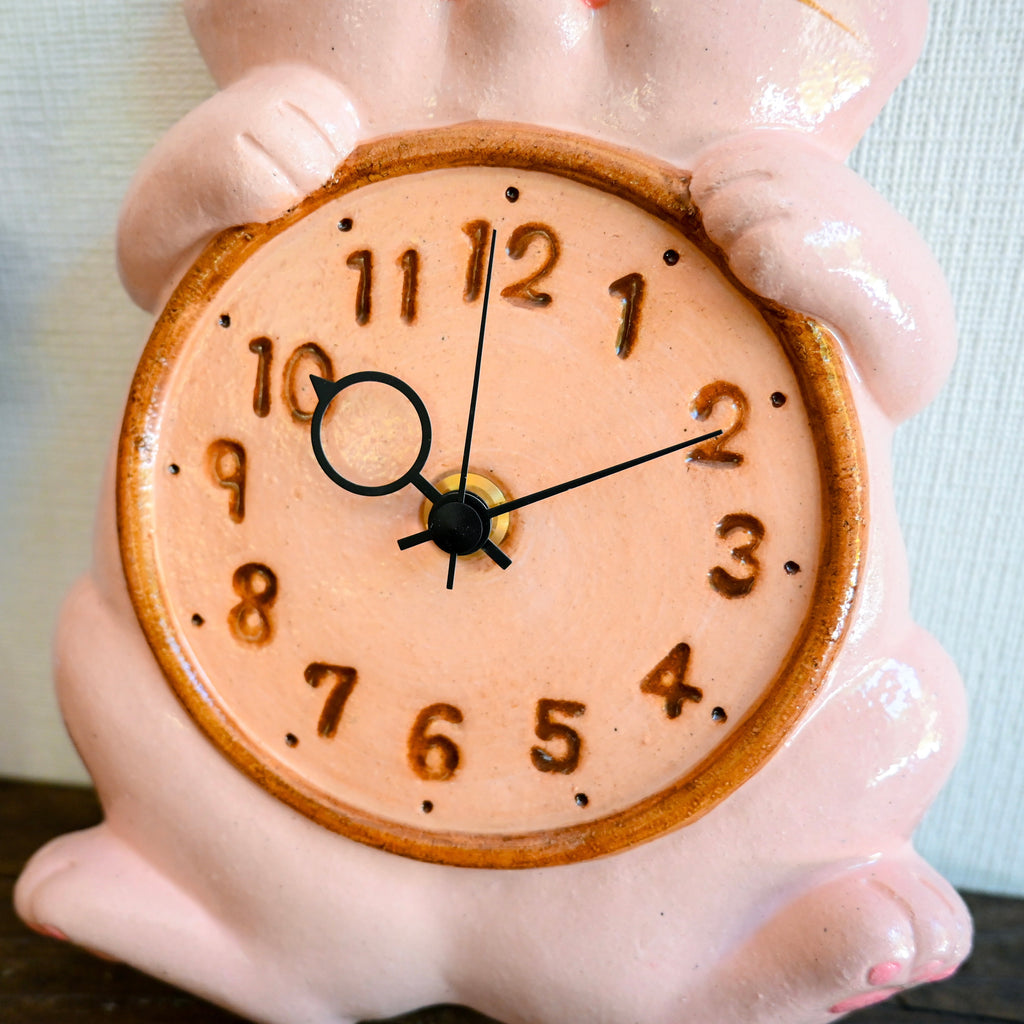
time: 10:10
